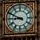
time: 8:49
